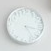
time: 3:23
